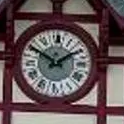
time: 1:49
